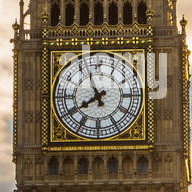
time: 7:55
